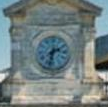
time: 2:32
